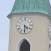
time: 4:29
